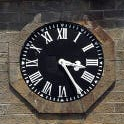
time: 3:24
